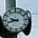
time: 9:42
